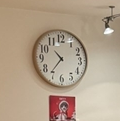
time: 10:36
